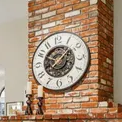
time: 8:07
